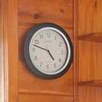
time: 4:47
